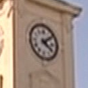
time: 4:08
